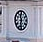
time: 11:32
